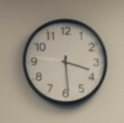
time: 3:29
